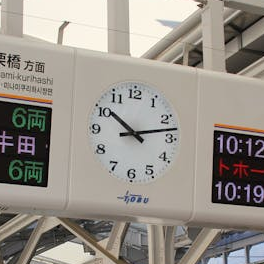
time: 10:12
